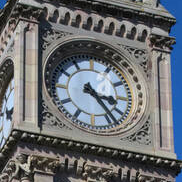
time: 3:23
